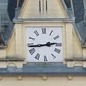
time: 2:44
